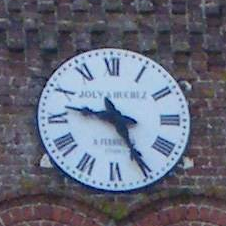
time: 9:25
